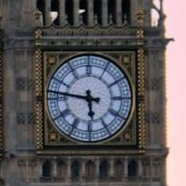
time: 5:46
